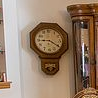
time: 9:20
